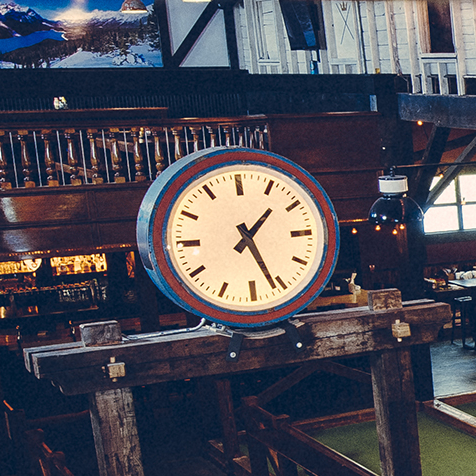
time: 1:26
